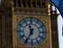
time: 11:34
